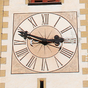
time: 2:48
